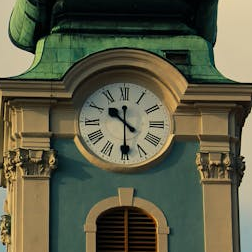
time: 10:29
